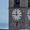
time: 11:45
